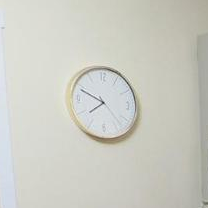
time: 7:49
